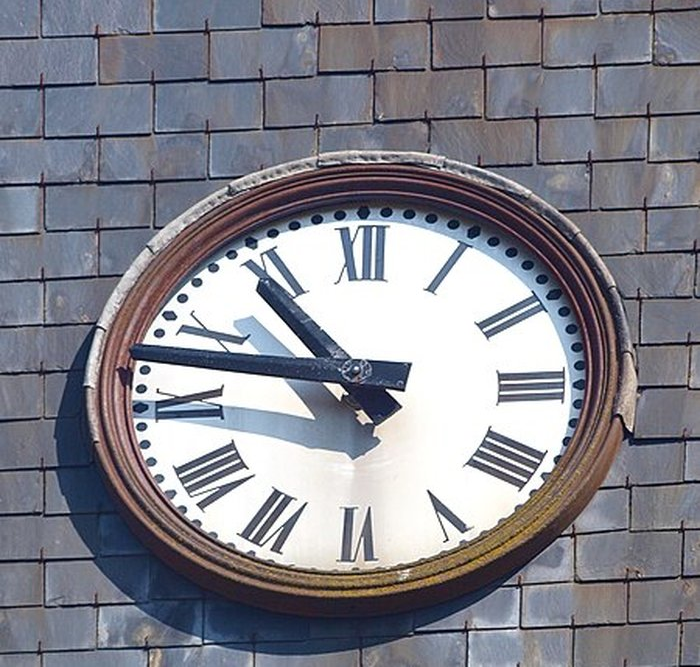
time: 10:47
